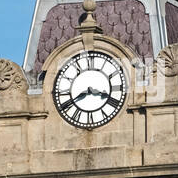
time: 3:40
